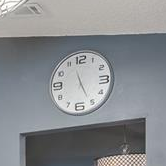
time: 11:25
